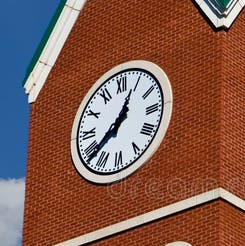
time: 12:38
